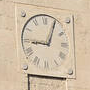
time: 9:04
